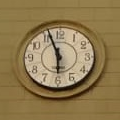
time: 5:56
